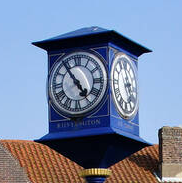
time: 4:54
